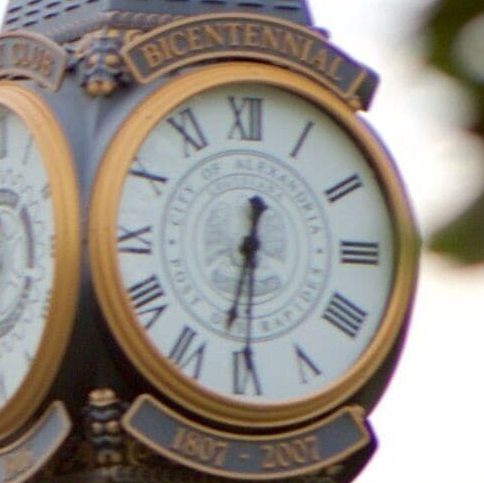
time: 6:32
